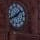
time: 1:40
